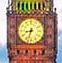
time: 8:32
